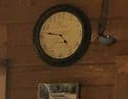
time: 4:46
